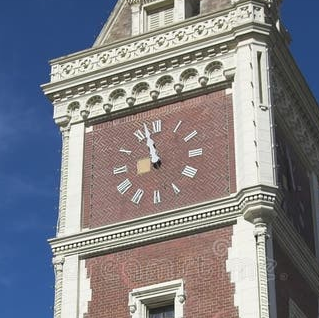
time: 10:57
